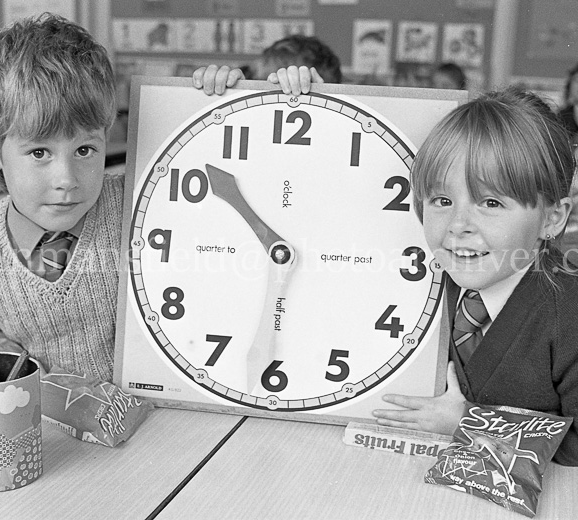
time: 10:30
